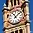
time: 11:07
